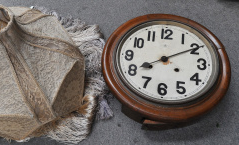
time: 8:09
